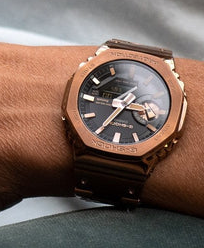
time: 3:35
